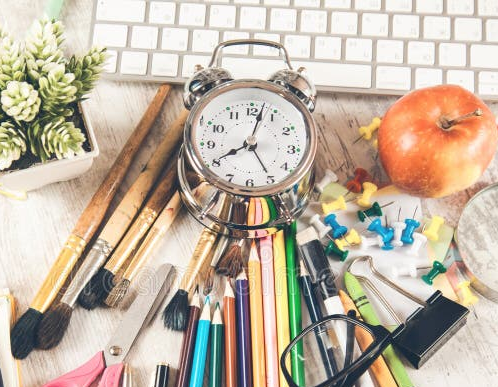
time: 8:02
